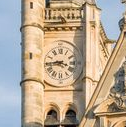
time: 3:43
